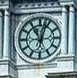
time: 11:02
